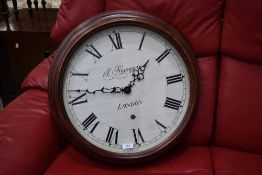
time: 1:46
